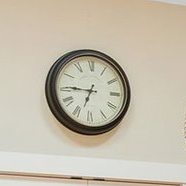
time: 6:45
